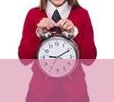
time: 9:10
